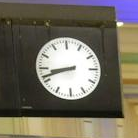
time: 8:41
